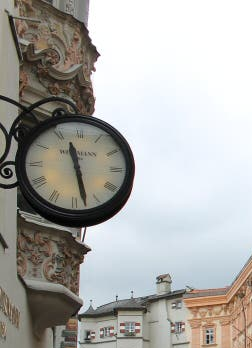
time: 11:27
